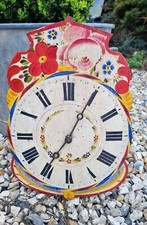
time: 7:04
